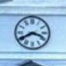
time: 3:40
